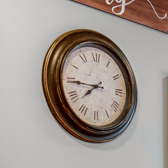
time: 7:44
